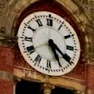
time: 5:20
